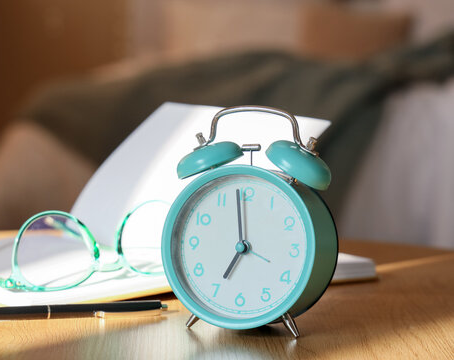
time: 6:58
